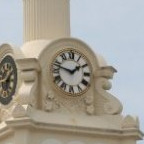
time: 1:47
